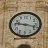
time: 9:17
